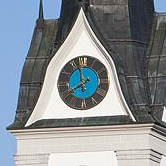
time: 7:57
